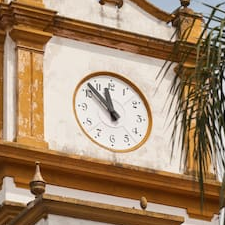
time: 11:52
